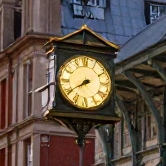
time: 7:39
